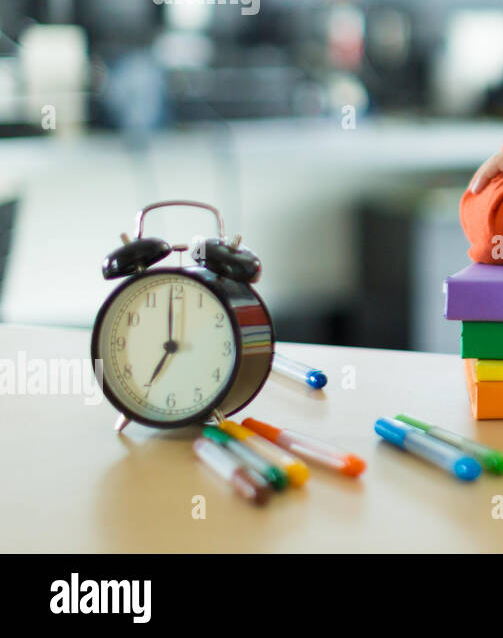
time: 7:00
